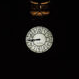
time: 8:45
